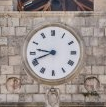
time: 9:41
